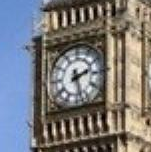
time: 2:27
